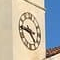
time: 4:45
